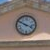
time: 3:49
